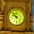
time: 9:52
